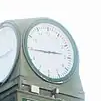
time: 2:44
